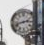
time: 2:42
